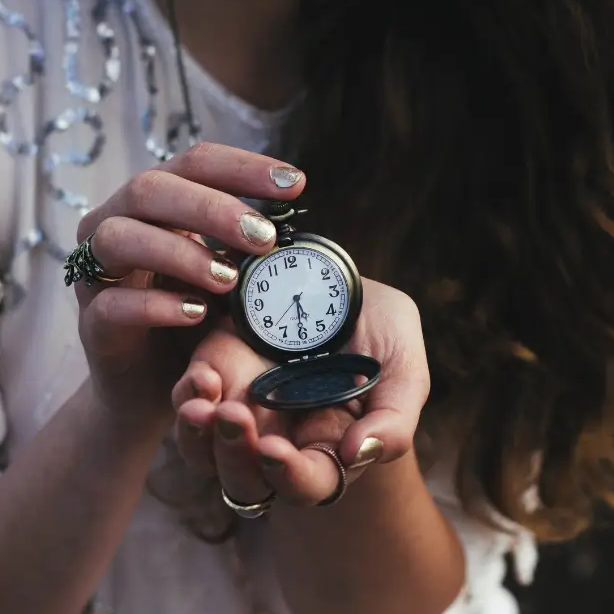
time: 5:30
